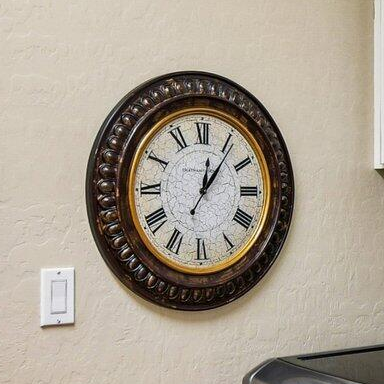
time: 12:06
